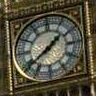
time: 1:38
